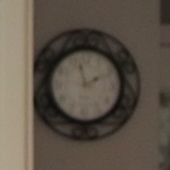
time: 1:57
